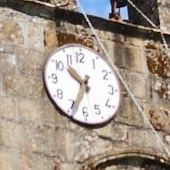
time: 10:34
